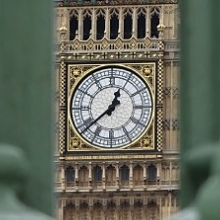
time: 12:38
